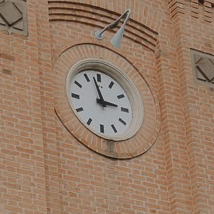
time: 2:57
